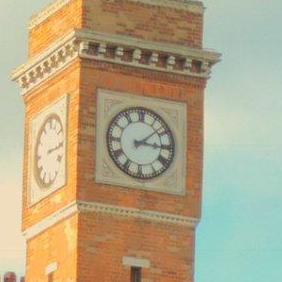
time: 3:08
